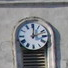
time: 12:11
